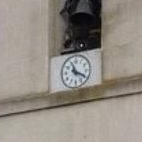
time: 11:19
